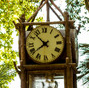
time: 7:52
